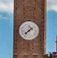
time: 1:37
